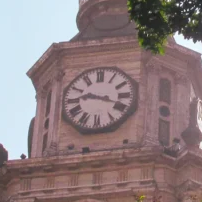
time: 9:18
